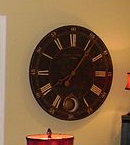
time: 8:06
